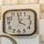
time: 3:58
